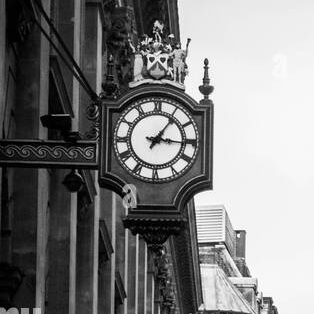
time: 1:16
